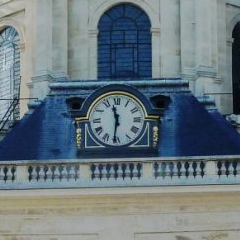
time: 11:31
